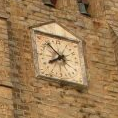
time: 7:53
